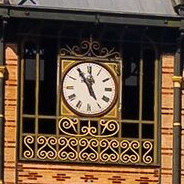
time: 11:54
